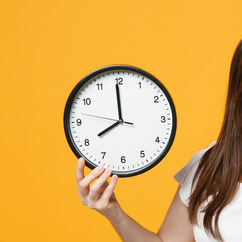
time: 7:59
